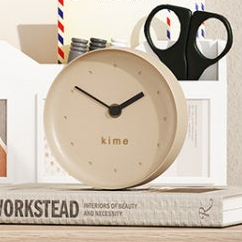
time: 1:51
